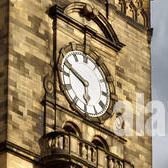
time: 5:48
